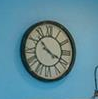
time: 3:52
